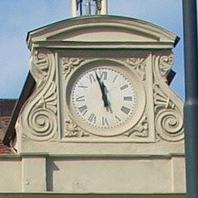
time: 11:57
